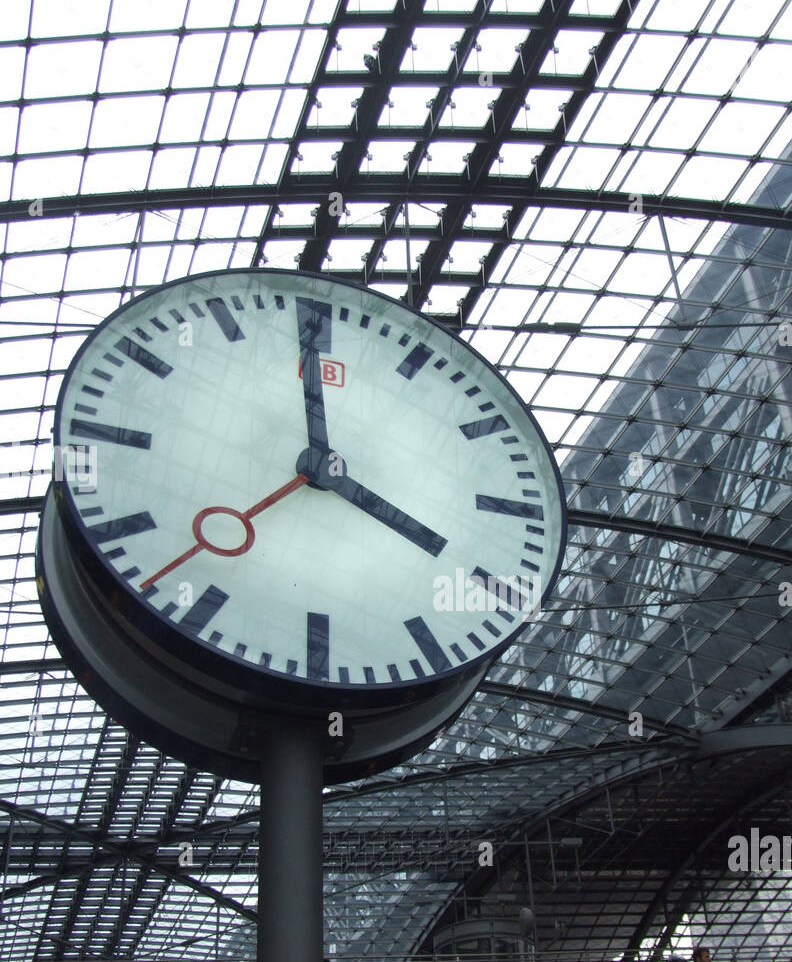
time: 3:58
